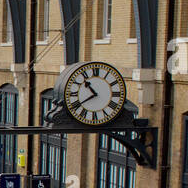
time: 10:39
